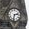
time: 2:32
